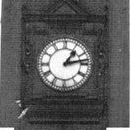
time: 1:13
